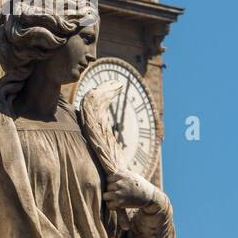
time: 11:04
